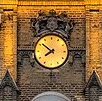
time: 7:51
